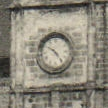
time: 4:50
